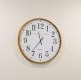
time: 11:36
